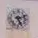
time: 5:11
